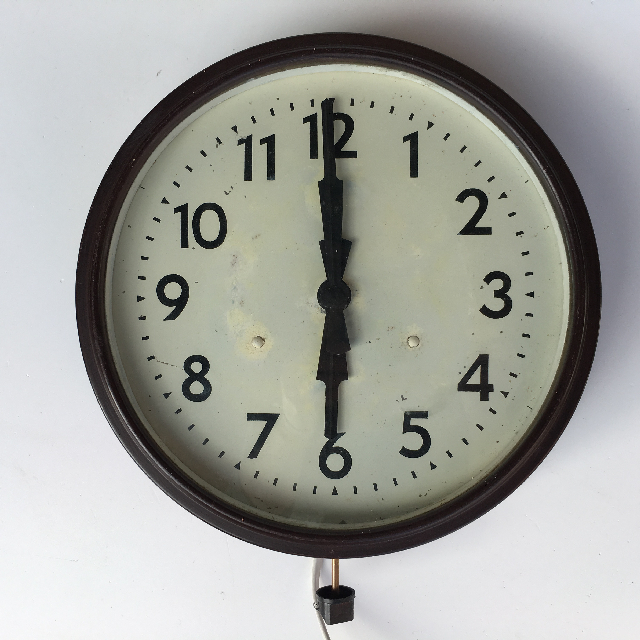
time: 5:59
